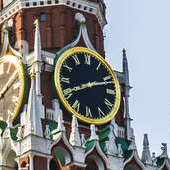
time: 8:11
